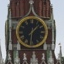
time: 1:30
